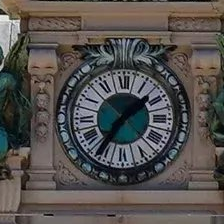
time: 1:35
